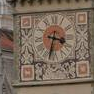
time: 3:32
